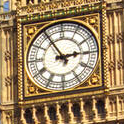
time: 2:54
